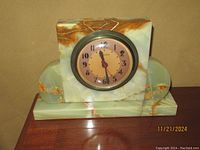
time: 11:28
